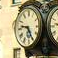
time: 9:25
